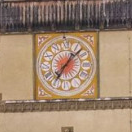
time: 7:07
